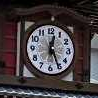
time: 12:25
